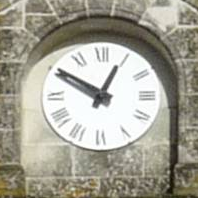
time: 12:50
